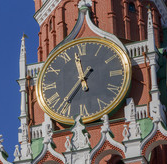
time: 11:35
